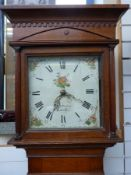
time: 11:35
